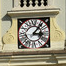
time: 3:06
